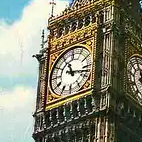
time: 11:17
